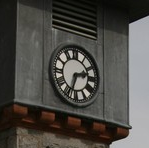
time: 2:33
